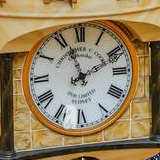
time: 11:10
